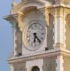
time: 6:23
